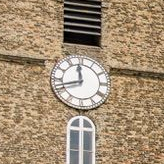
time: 11:42
